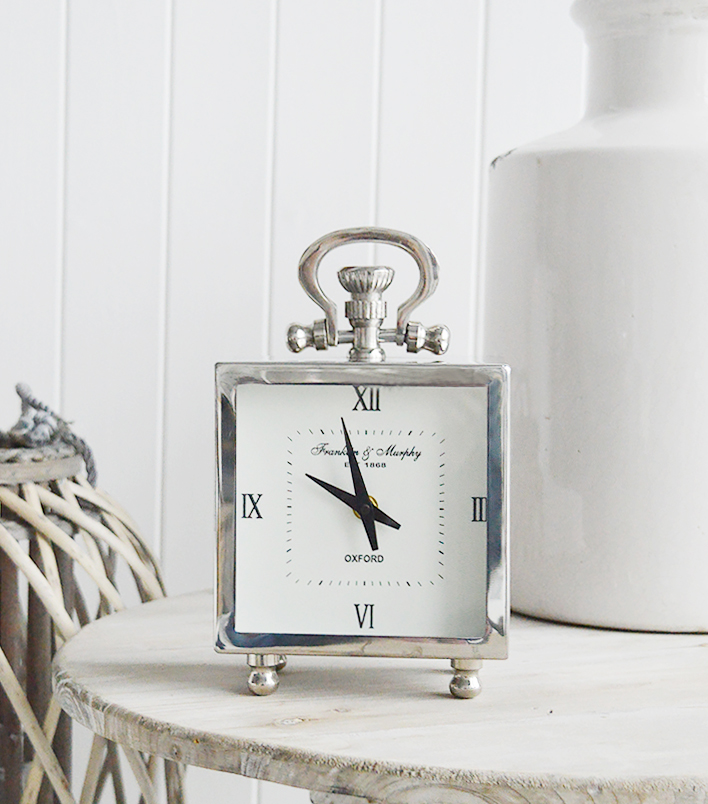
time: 9:57
